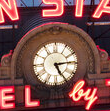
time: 5:14
